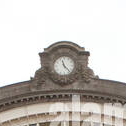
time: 11:23
